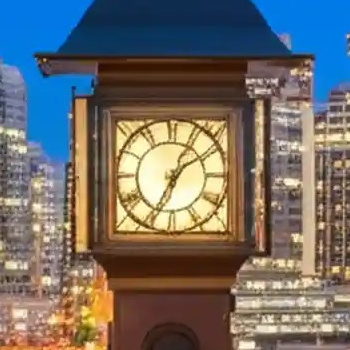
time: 1:34
